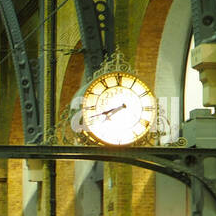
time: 7:41
